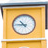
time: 10:45
